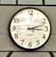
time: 3:12
